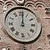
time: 12:00
